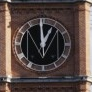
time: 12:59
